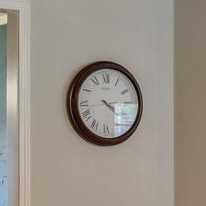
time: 4:14
